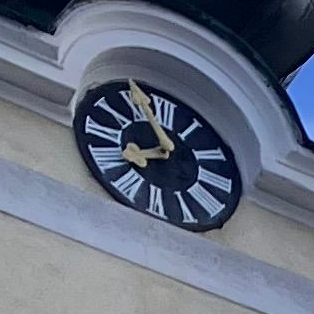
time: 7:56
